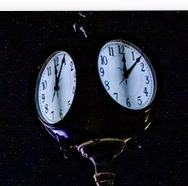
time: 12:07
